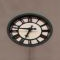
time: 6:46
